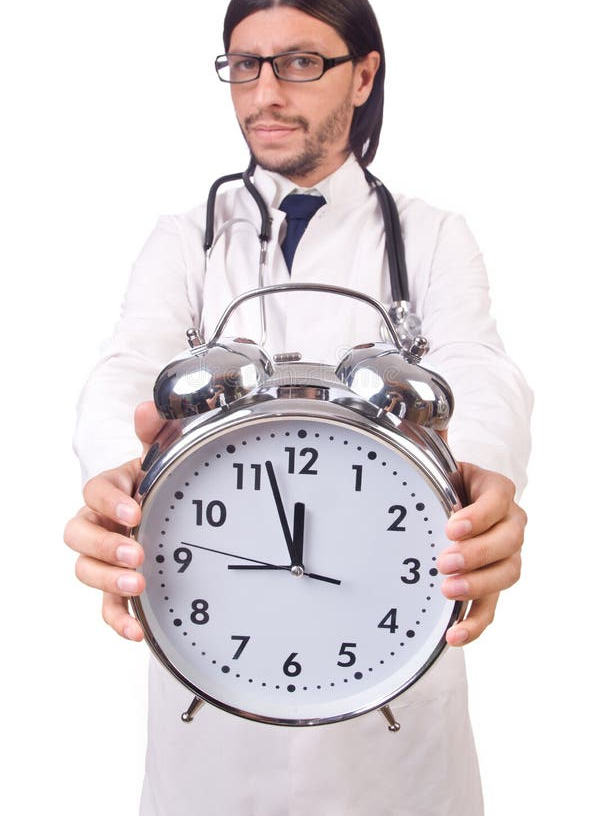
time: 11:57
